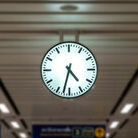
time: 4:32
